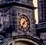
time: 7:08
